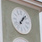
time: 1:07
